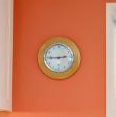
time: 2:45
